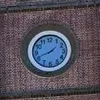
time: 1:41
